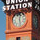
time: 12:28
